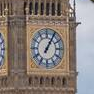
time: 1:05
